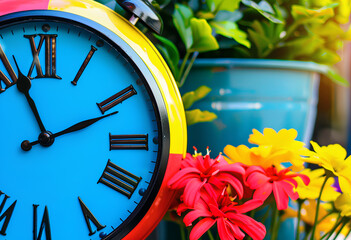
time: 11:11
